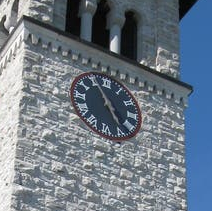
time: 4:55
